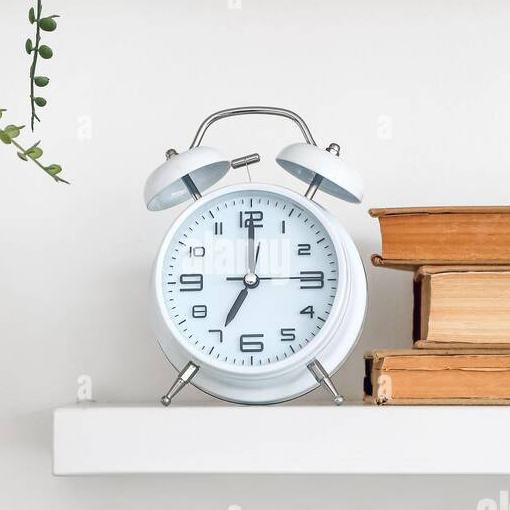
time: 7:00
